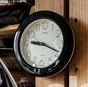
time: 9:18
